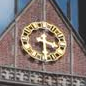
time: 3:29
